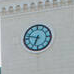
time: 6:47
